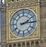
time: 2:14
